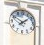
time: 1:50
